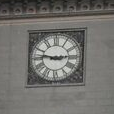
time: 2:46
